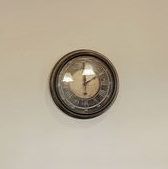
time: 12:10
